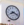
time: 8:18
